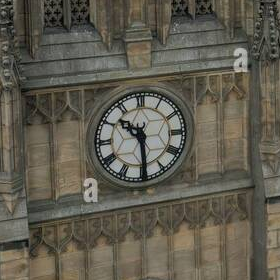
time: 10:29
